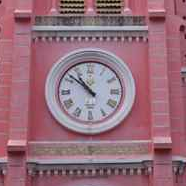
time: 10:51
